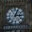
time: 3:04
